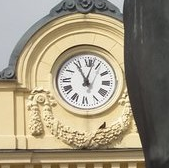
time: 11:02
